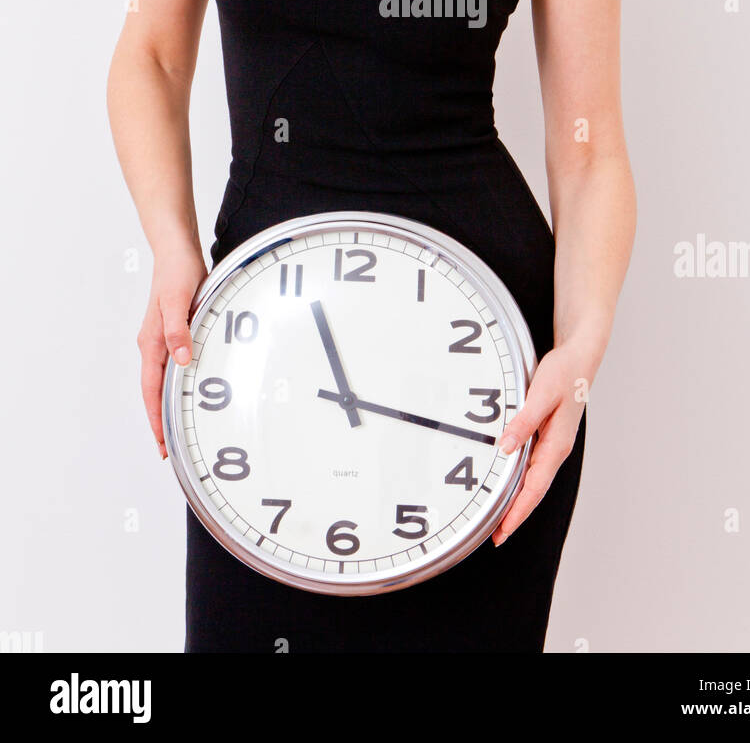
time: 11:17
